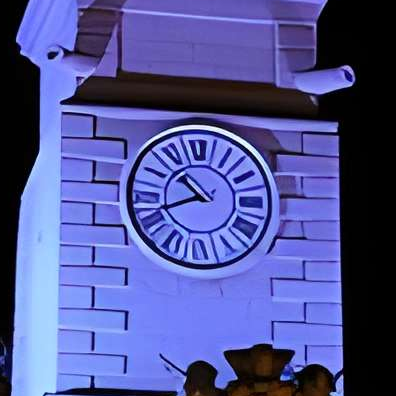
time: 10:41
